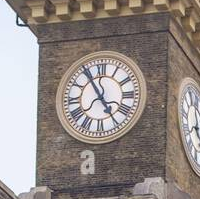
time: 4:54
